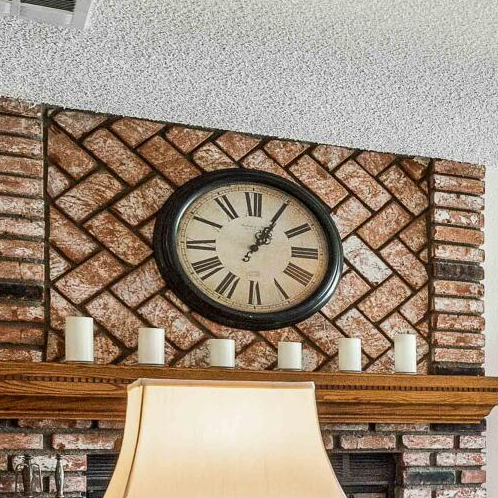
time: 1:05
